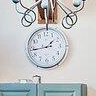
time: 1:43
